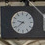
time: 9:38
